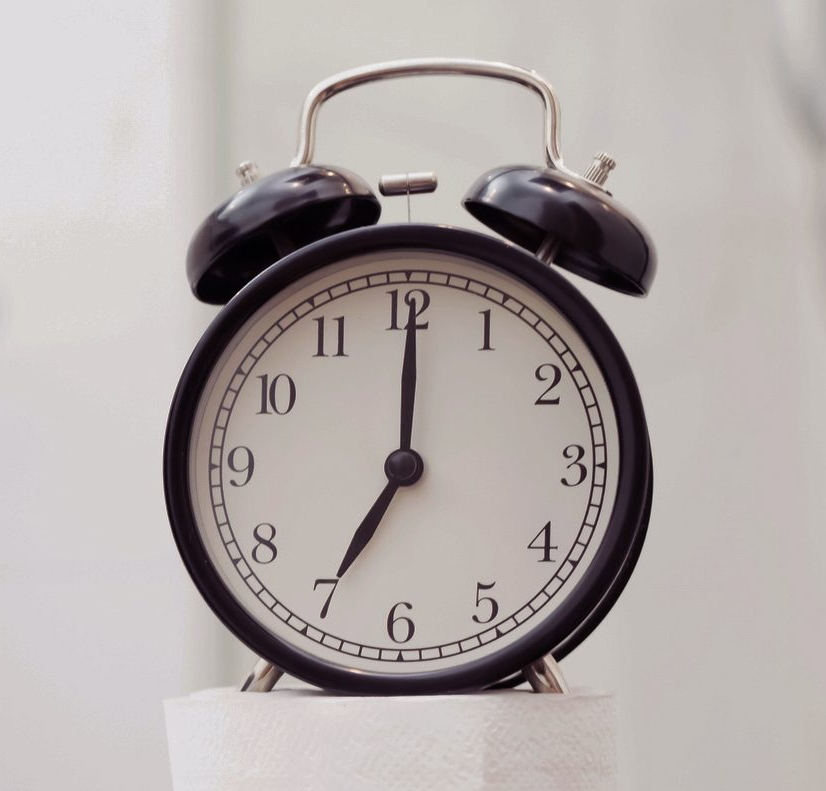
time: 7:00
